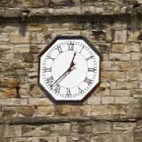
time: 12:37
